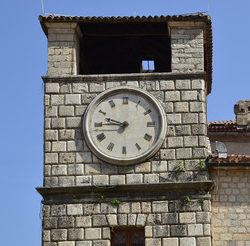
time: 9:44
